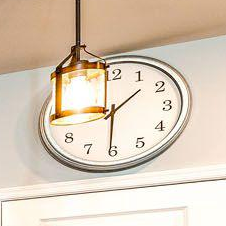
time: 1:30
